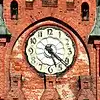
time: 5:22
